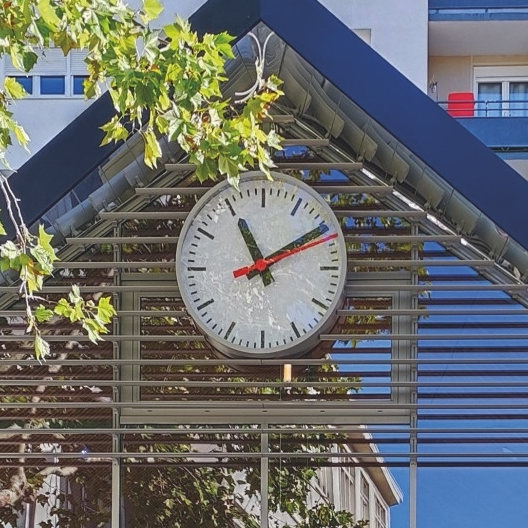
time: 11:09
